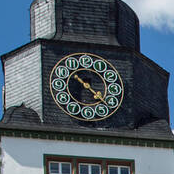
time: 4:22
